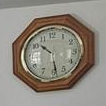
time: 10:28
